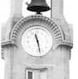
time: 11:28
